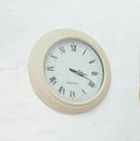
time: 3:18
